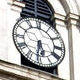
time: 5:31
